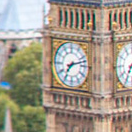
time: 7:12
